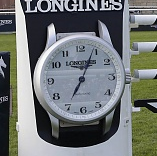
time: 7:04
